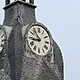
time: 8:53
